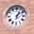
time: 1:08
